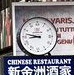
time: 8:47
